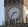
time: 2:36
